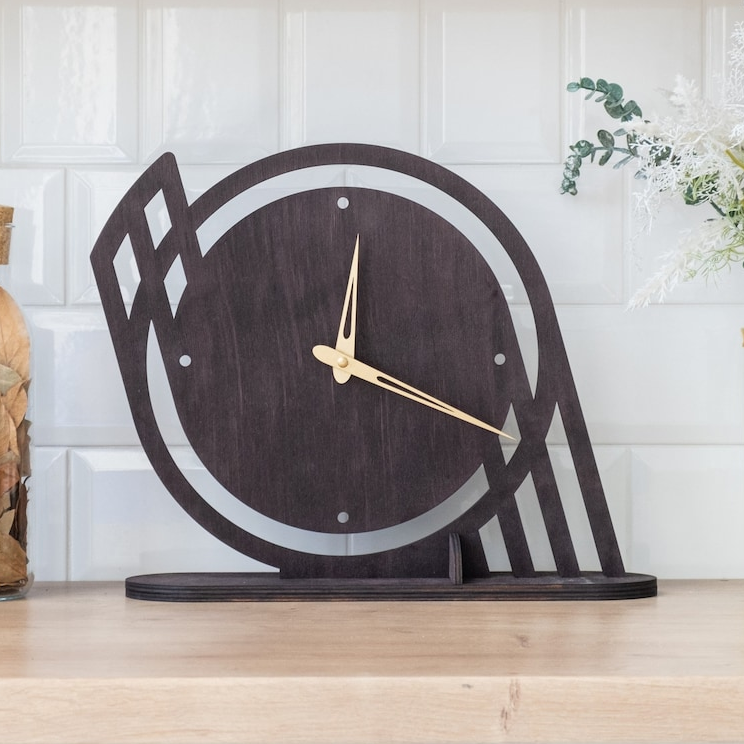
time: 12:19
